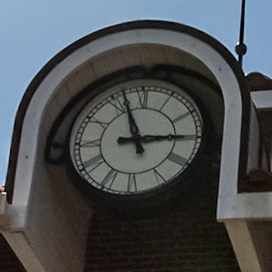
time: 2:56
